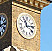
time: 11:13
